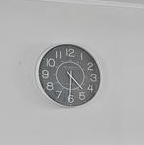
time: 4:30
